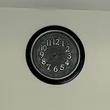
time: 2:37
